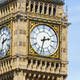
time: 2:32
